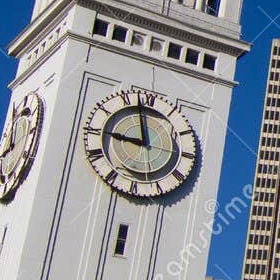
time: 8:57
